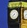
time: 7:37
